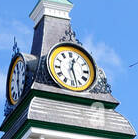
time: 12:27
